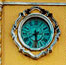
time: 5:40
